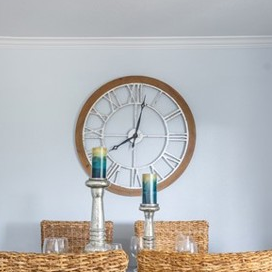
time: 8:02
